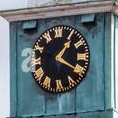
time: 1:20
